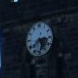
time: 5:38
